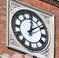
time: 12:08
